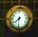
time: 7:31
